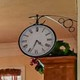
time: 4:33
